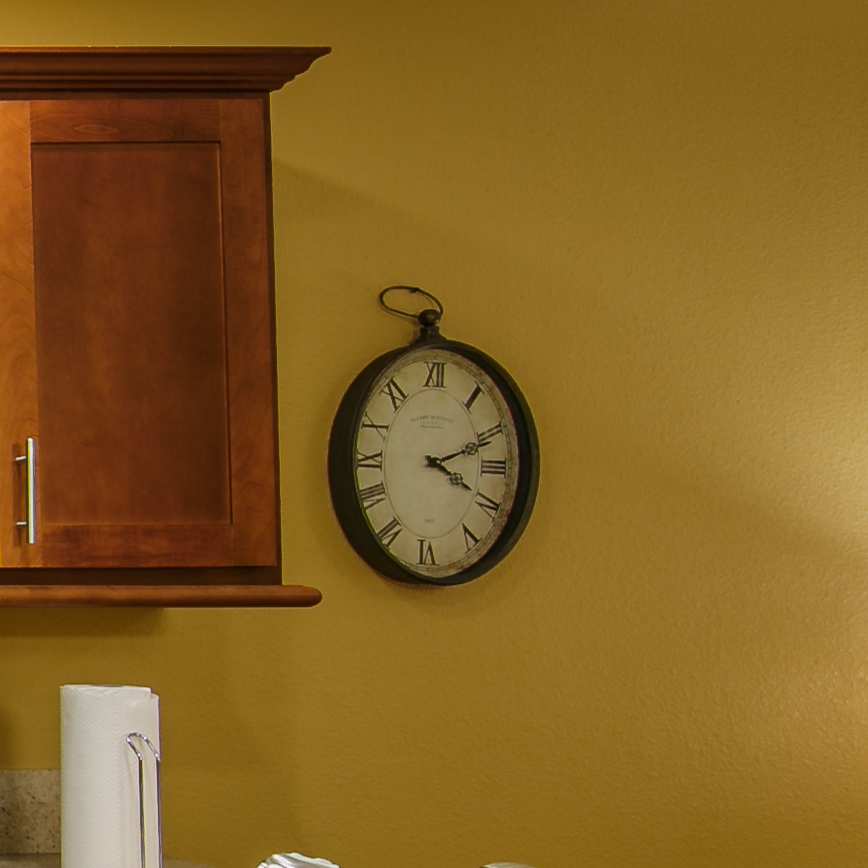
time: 2:18
